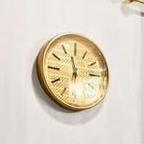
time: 11:57
